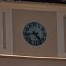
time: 4:42
